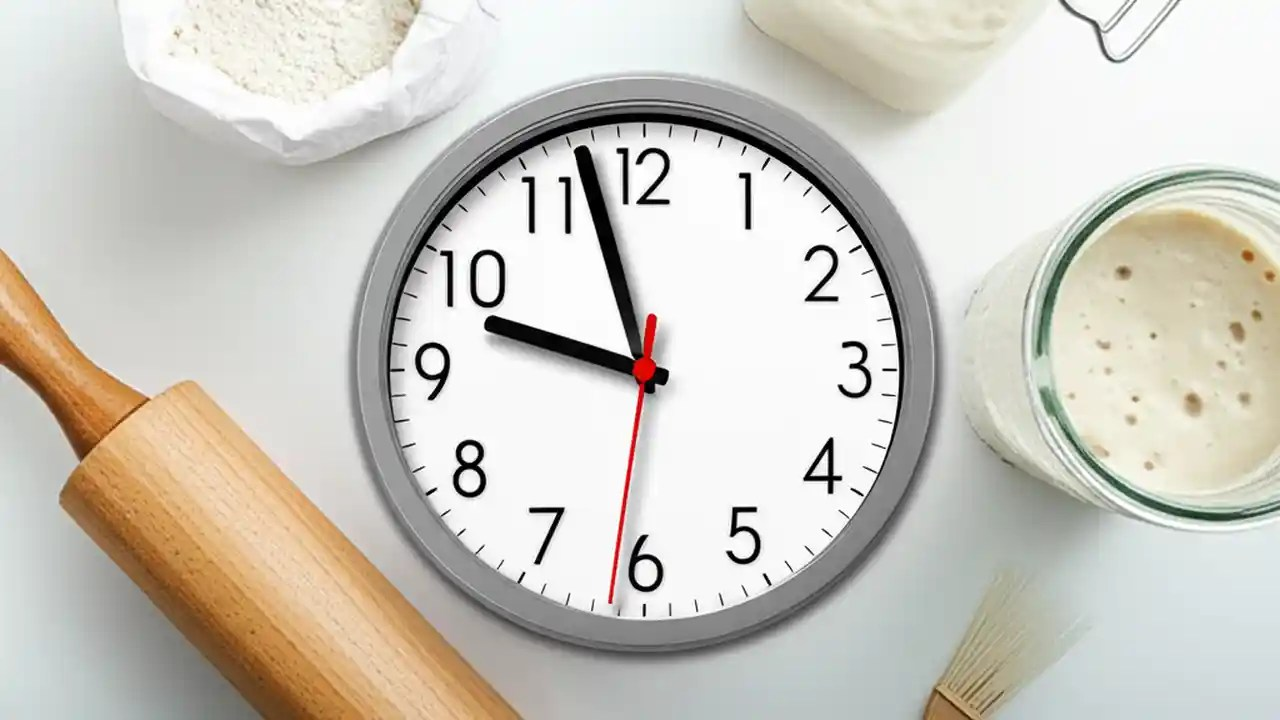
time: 9:57
